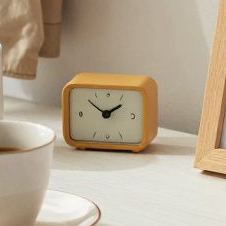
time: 1:51
